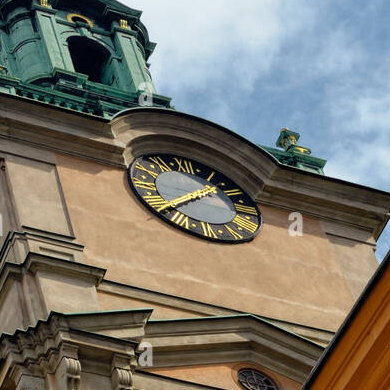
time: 1:37
